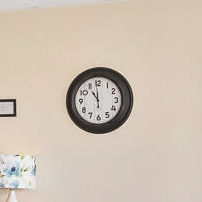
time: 10:59
